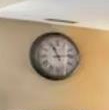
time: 11:13
